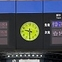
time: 9:30
